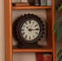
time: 10:14
